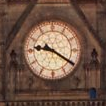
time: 9:20
